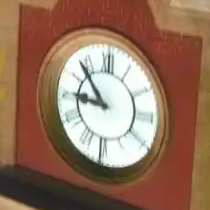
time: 8:53
